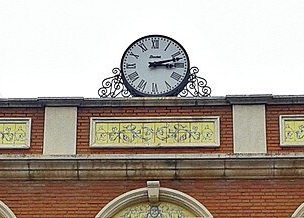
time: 3:12
